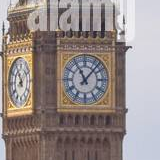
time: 11:07
